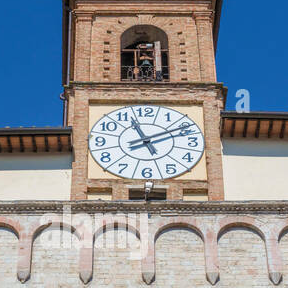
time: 11:10
